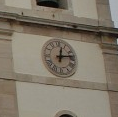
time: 12:13
